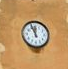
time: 11:56
